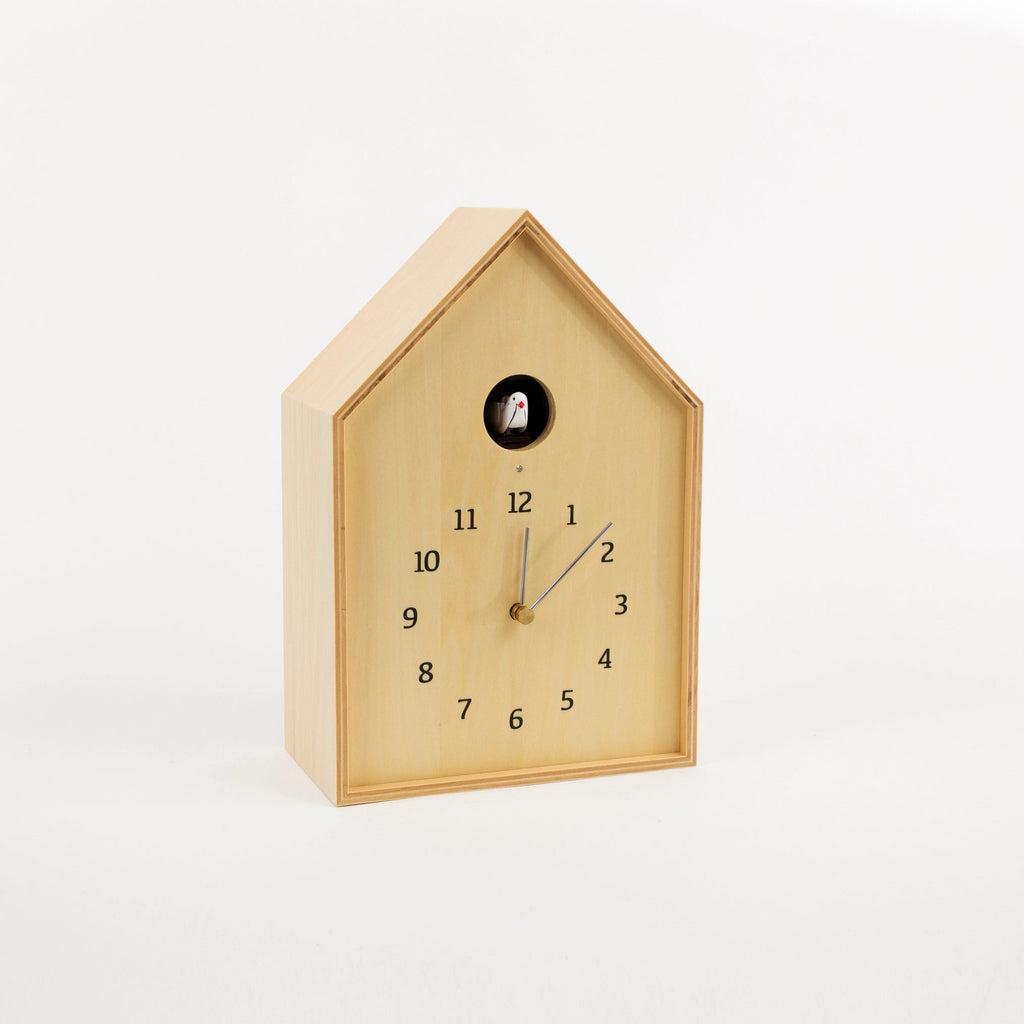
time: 12:09
